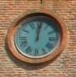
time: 12:01
